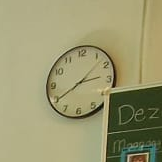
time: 2:40
